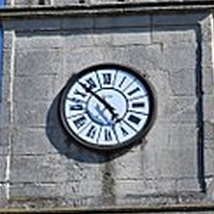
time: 4:52
